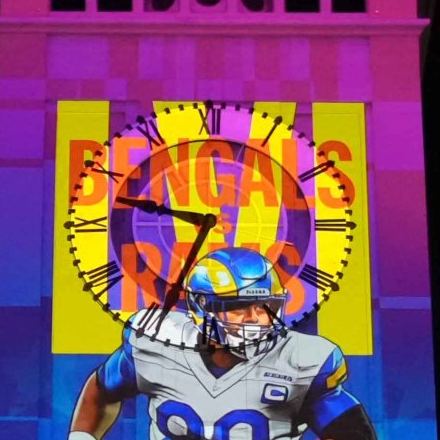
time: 9:34
